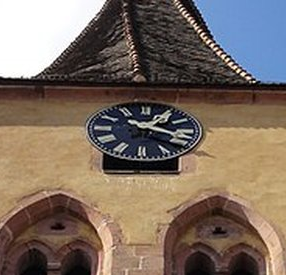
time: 1:18
